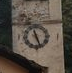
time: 11:26
